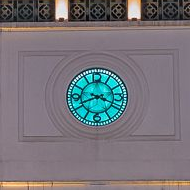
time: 3:41
